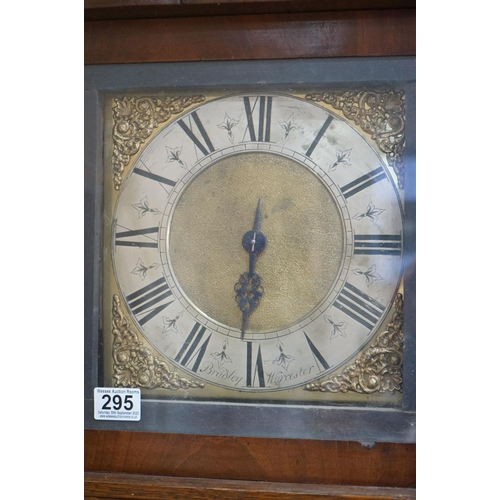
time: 6:31
